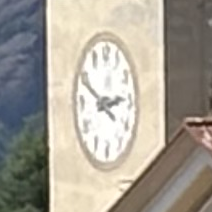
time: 2:49
